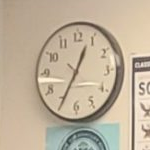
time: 12:34
